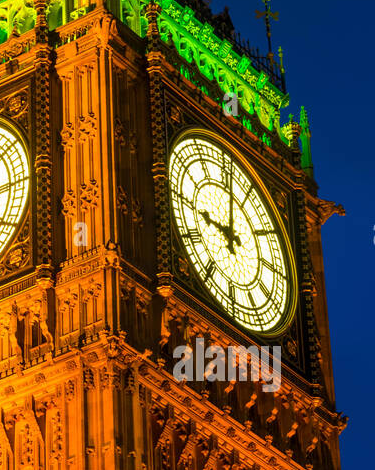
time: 9:01
